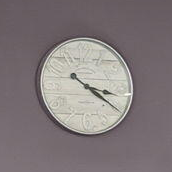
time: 3:20
